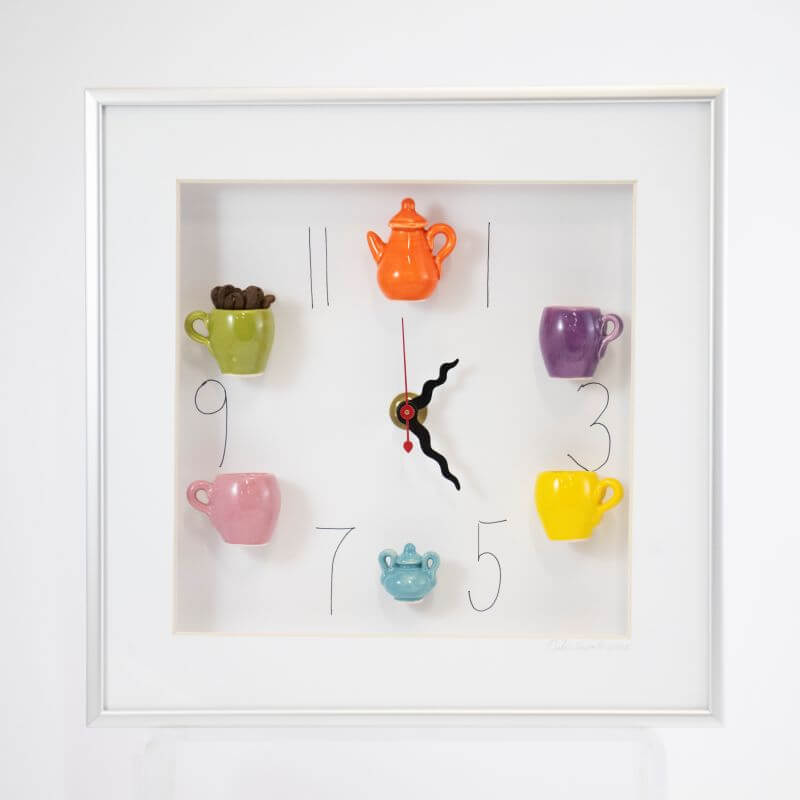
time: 1:22
